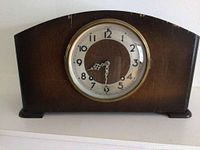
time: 8:31
